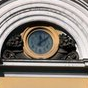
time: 12:08
